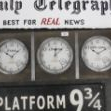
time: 12:07
